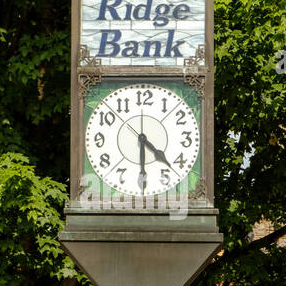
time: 4:29
